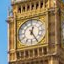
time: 12:24
